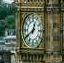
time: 12:40
